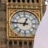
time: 12:46
